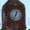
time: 12:34
